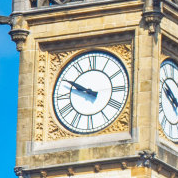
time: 9:49
